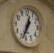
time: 12:33
